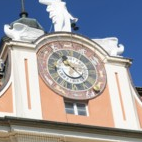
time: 11:22
